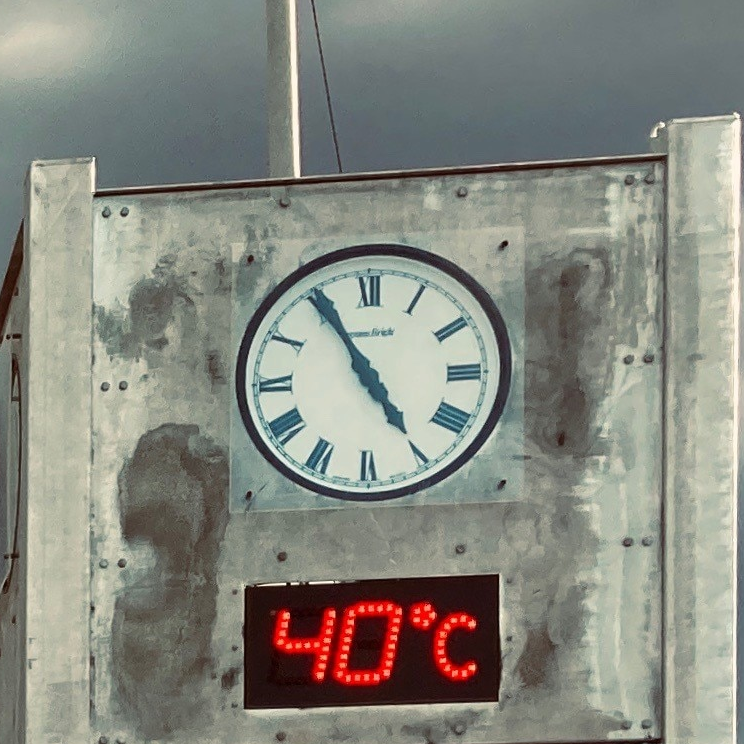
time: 4:54
